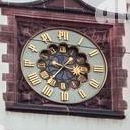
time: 3:36
